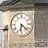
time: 6:21
